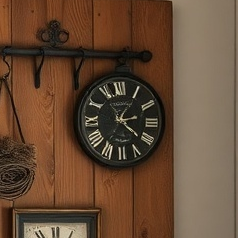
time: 2:21
